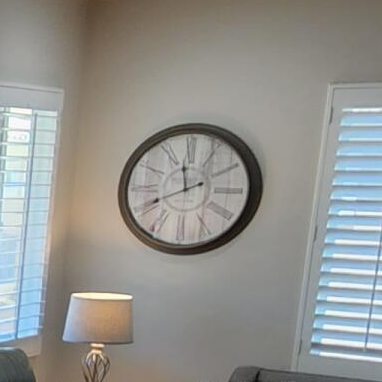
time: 11:40
